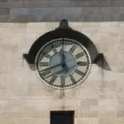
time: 11:41
